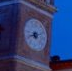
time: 8:11
